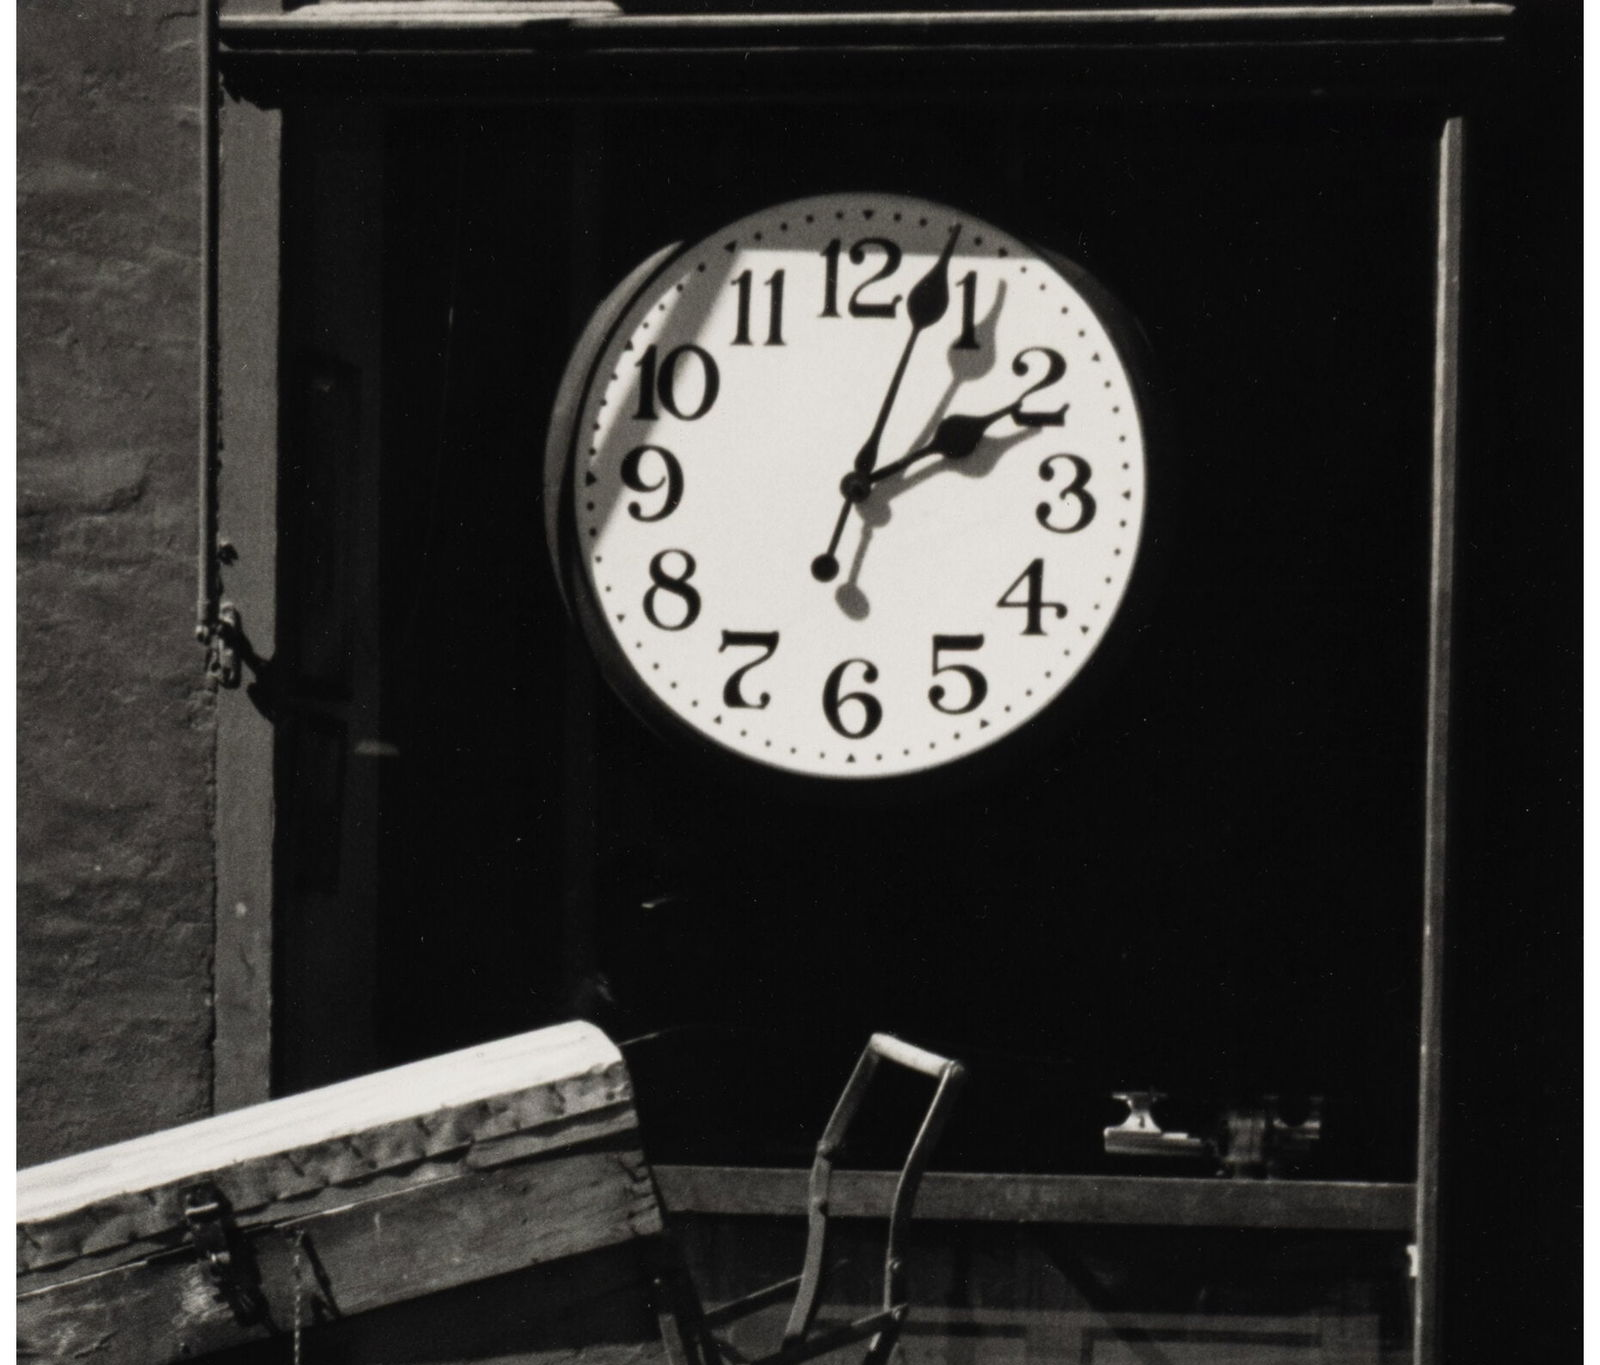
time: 2:03
